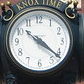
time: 10:21
